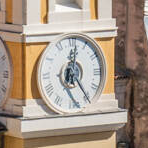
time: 5:01
